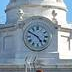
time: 4:49
